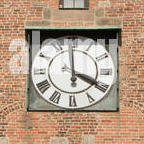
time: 3:59
